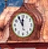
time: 11:54
